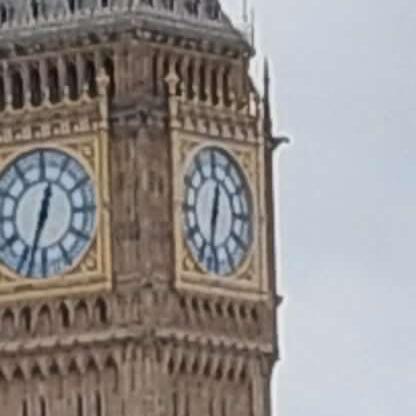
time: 12:32
